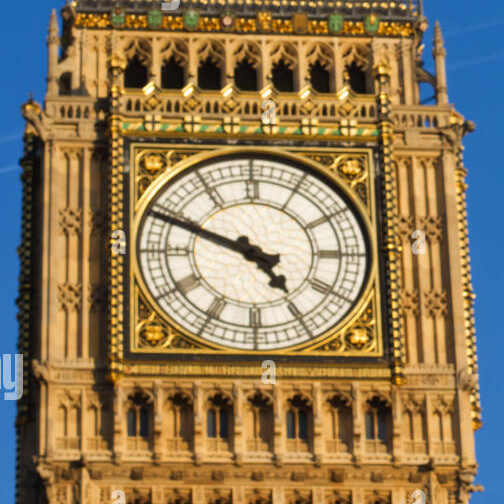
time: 4:48
